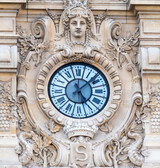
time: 5:08
